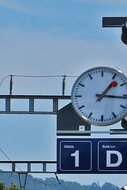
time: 1:16
